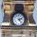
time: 2:23
